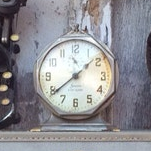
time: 1:38
